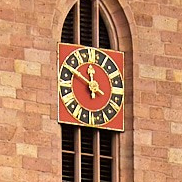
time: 11:48
